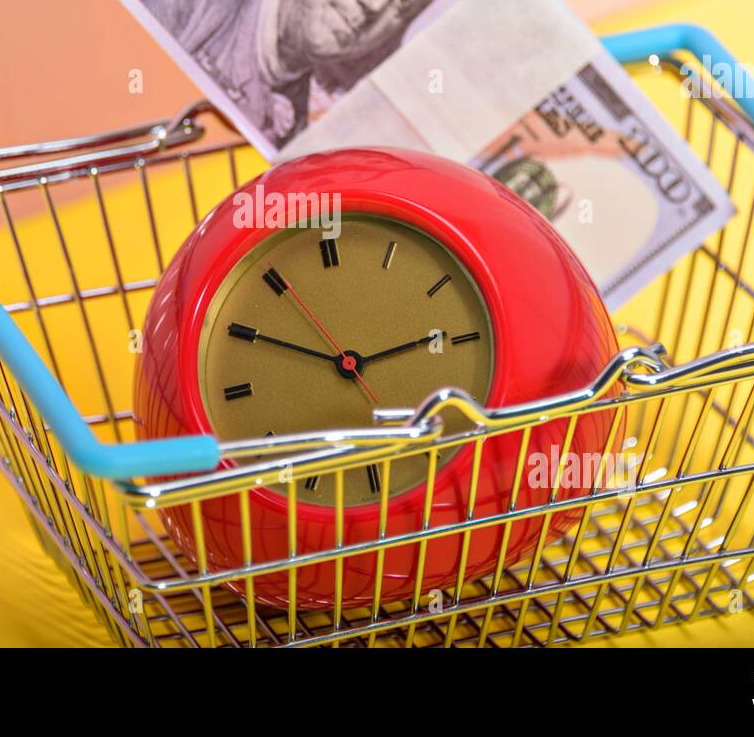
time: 2:49
